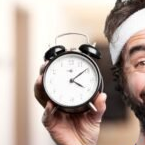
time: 4:09
